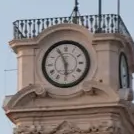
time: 5:55
